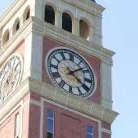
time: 4:08
